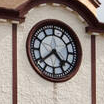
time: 4:38
